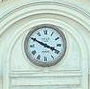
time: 3:49
